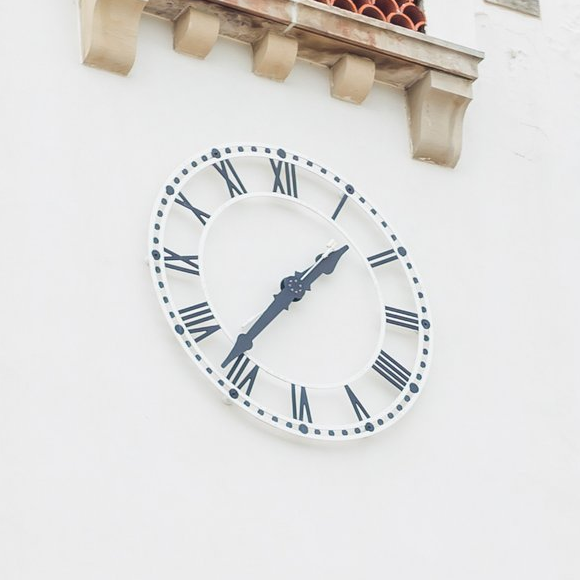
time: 1:36
